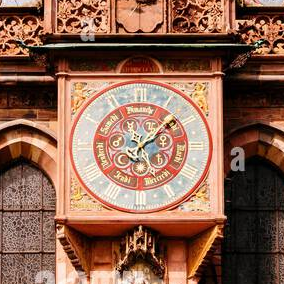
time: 2:07
